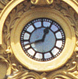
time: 12:42
